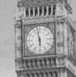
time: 5:58
